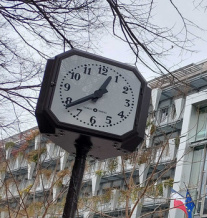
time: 12:38
